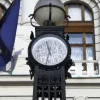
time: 11:32
